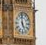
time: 4:59
